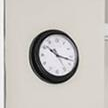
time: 10:17
